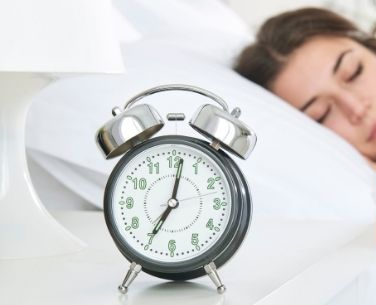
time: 7:01
